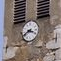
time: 3:40
